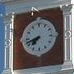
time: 7:42
